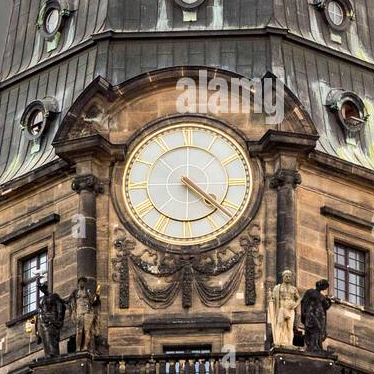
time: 4:21
